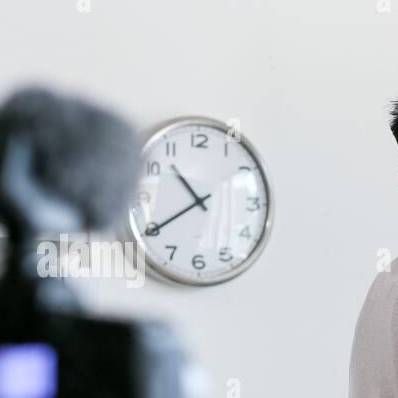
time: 10:39
